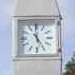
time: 4:59
